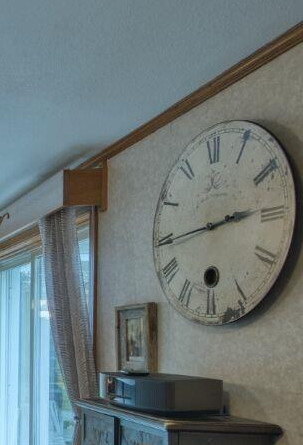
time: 2:44
